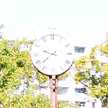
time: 9:38
